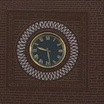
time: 9:28
